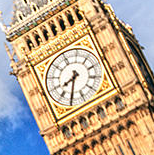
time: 7:30
